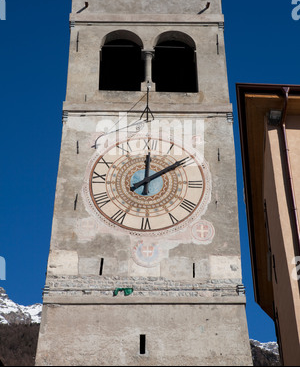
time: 12:09
